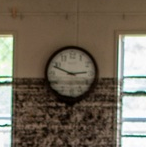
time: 2:48
